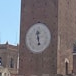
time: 11:28
